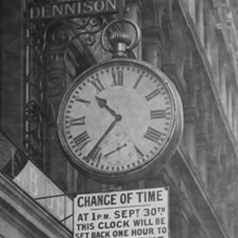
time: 10:36
